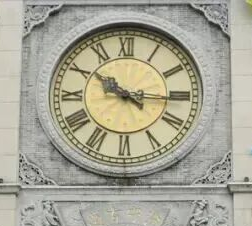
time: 10:15
